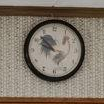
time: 9:52
